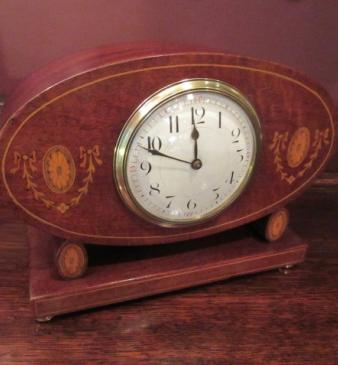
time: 11:48
